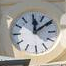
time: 12:09
